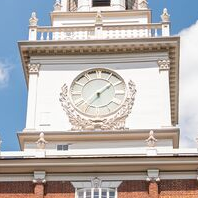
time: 1:36
